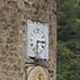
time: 6:14
